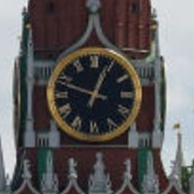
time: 12:48
